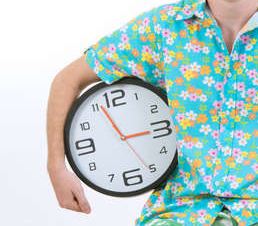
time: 2:56
